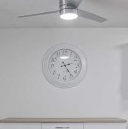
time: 2:24
